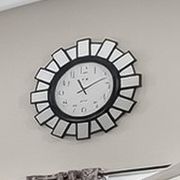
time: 11:10
